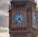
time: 4:37
